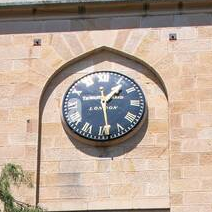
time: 1:28
